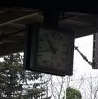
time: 10:42
